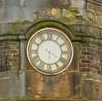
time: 6:20
